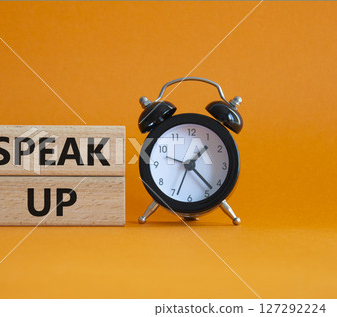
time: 1:22
